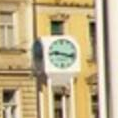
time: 9:17
